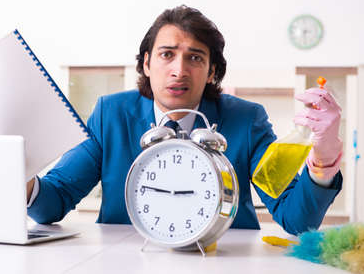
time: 2:46
